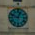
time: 12:48
